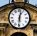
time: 12:30
